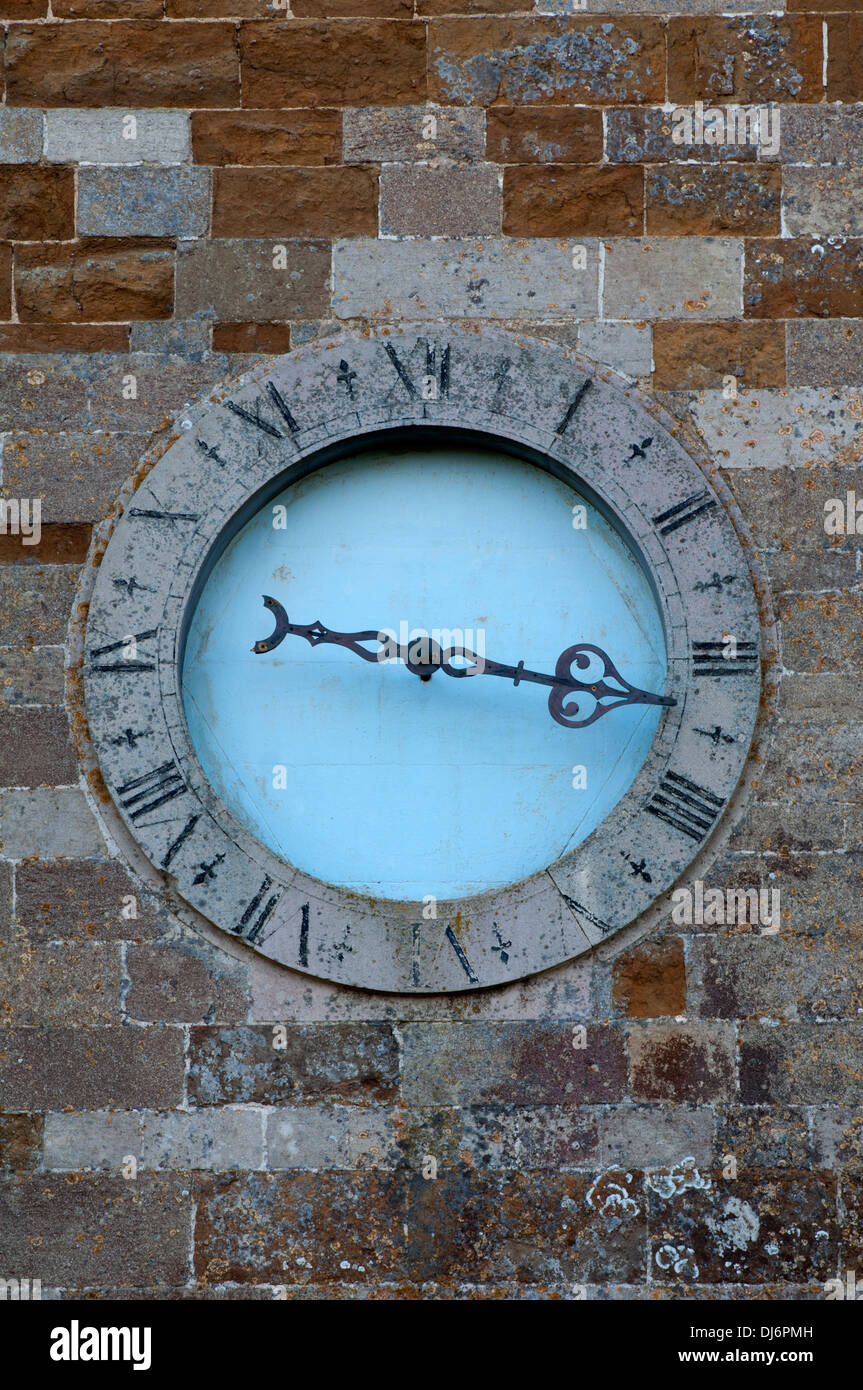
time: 9:16
